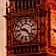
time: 9:22
